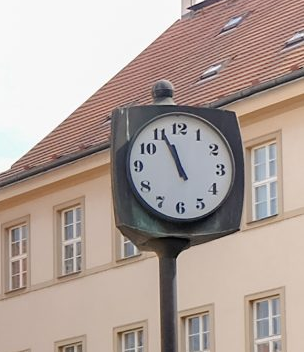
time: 11:56
